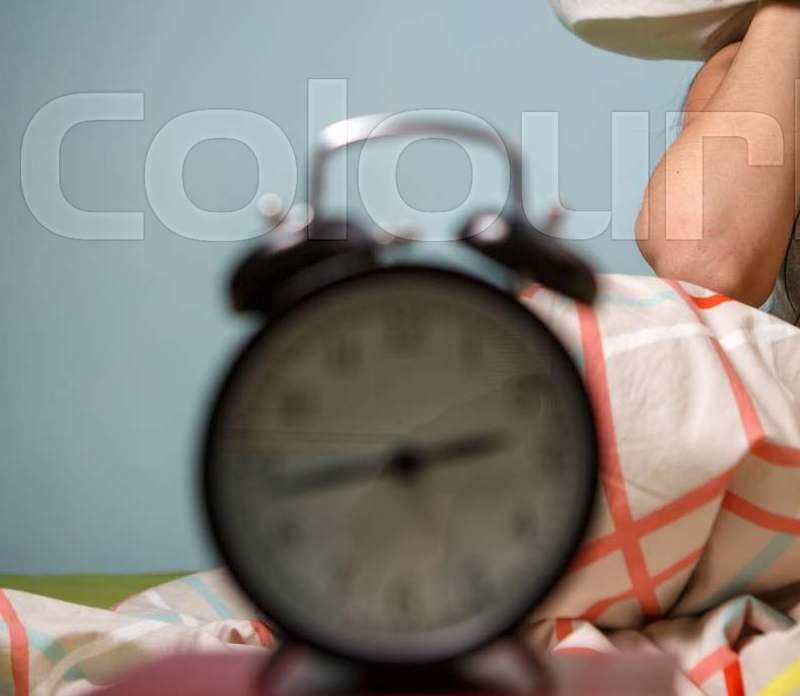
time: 2:43
